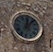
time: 12:06
